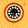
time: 6:14
